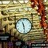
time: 11:28
